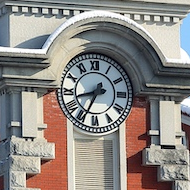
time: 8:34
